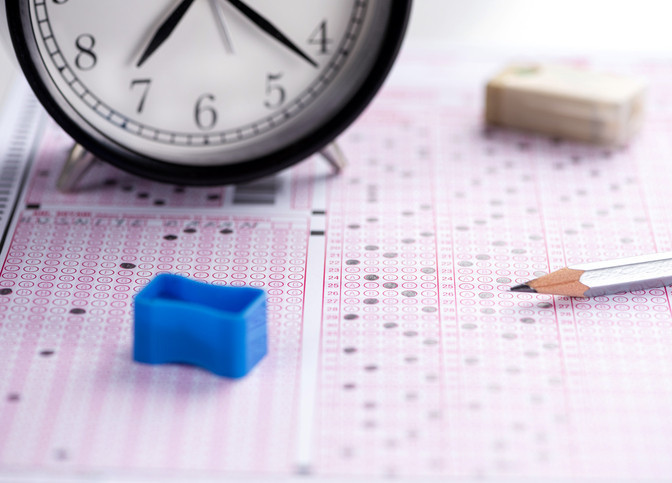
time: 7:21
